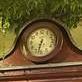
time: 6:32
